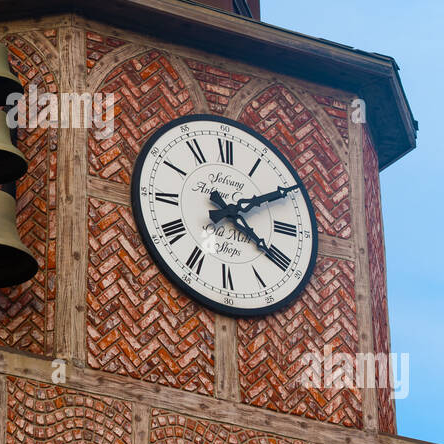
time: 4:09
